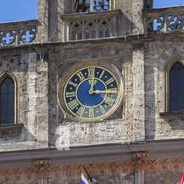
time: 12:14
